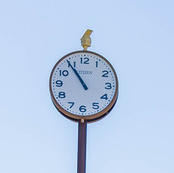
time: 10:54
